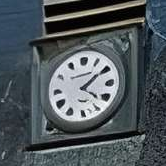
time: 4:09
